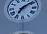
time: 7:08
